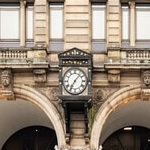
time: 7:07
